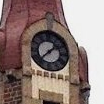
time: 1:37
